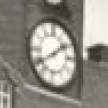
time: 1:39
